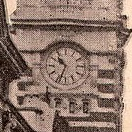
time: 10:33
